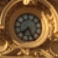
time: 7:25
